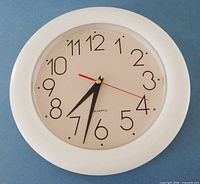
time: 7:32
